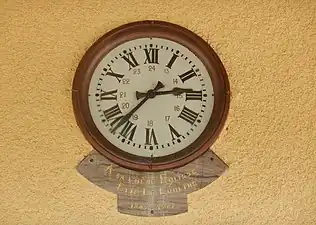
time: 2:37
